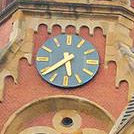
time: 5:38
